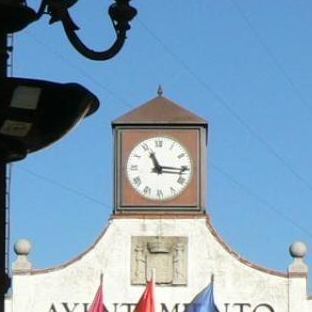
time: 11:15
